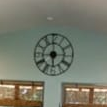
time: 5:59
